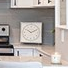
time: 10:10
